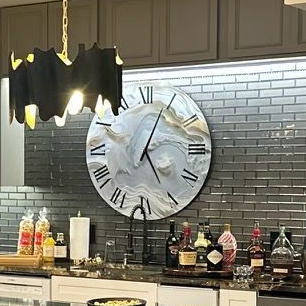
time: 5:04
